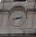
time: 2:42
